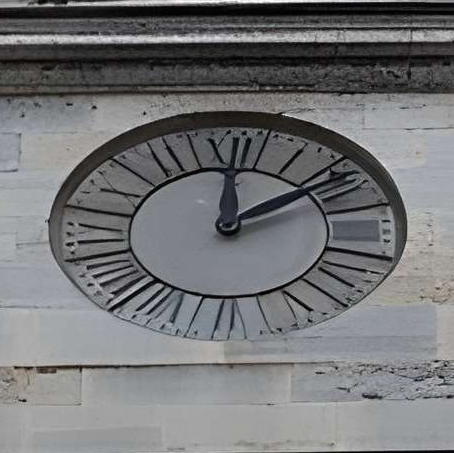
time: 2:00
